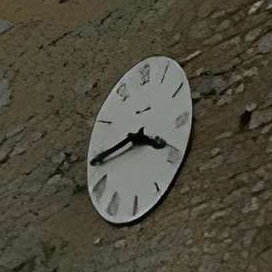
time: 3:43
